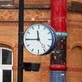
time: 11:44
